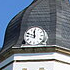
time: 11:47
